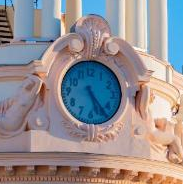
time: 5:23
